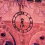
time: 5:32
